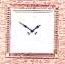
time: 1:51
